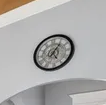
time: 5:05
